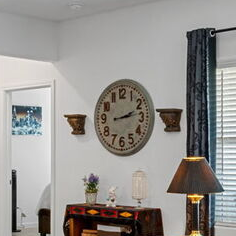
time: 2:13
